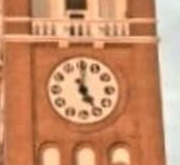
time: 5:00
